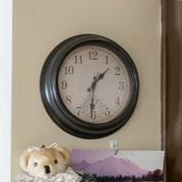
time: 1:30
